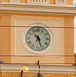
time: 10:26
